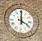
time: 4:00
